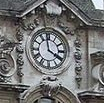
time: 3:58
